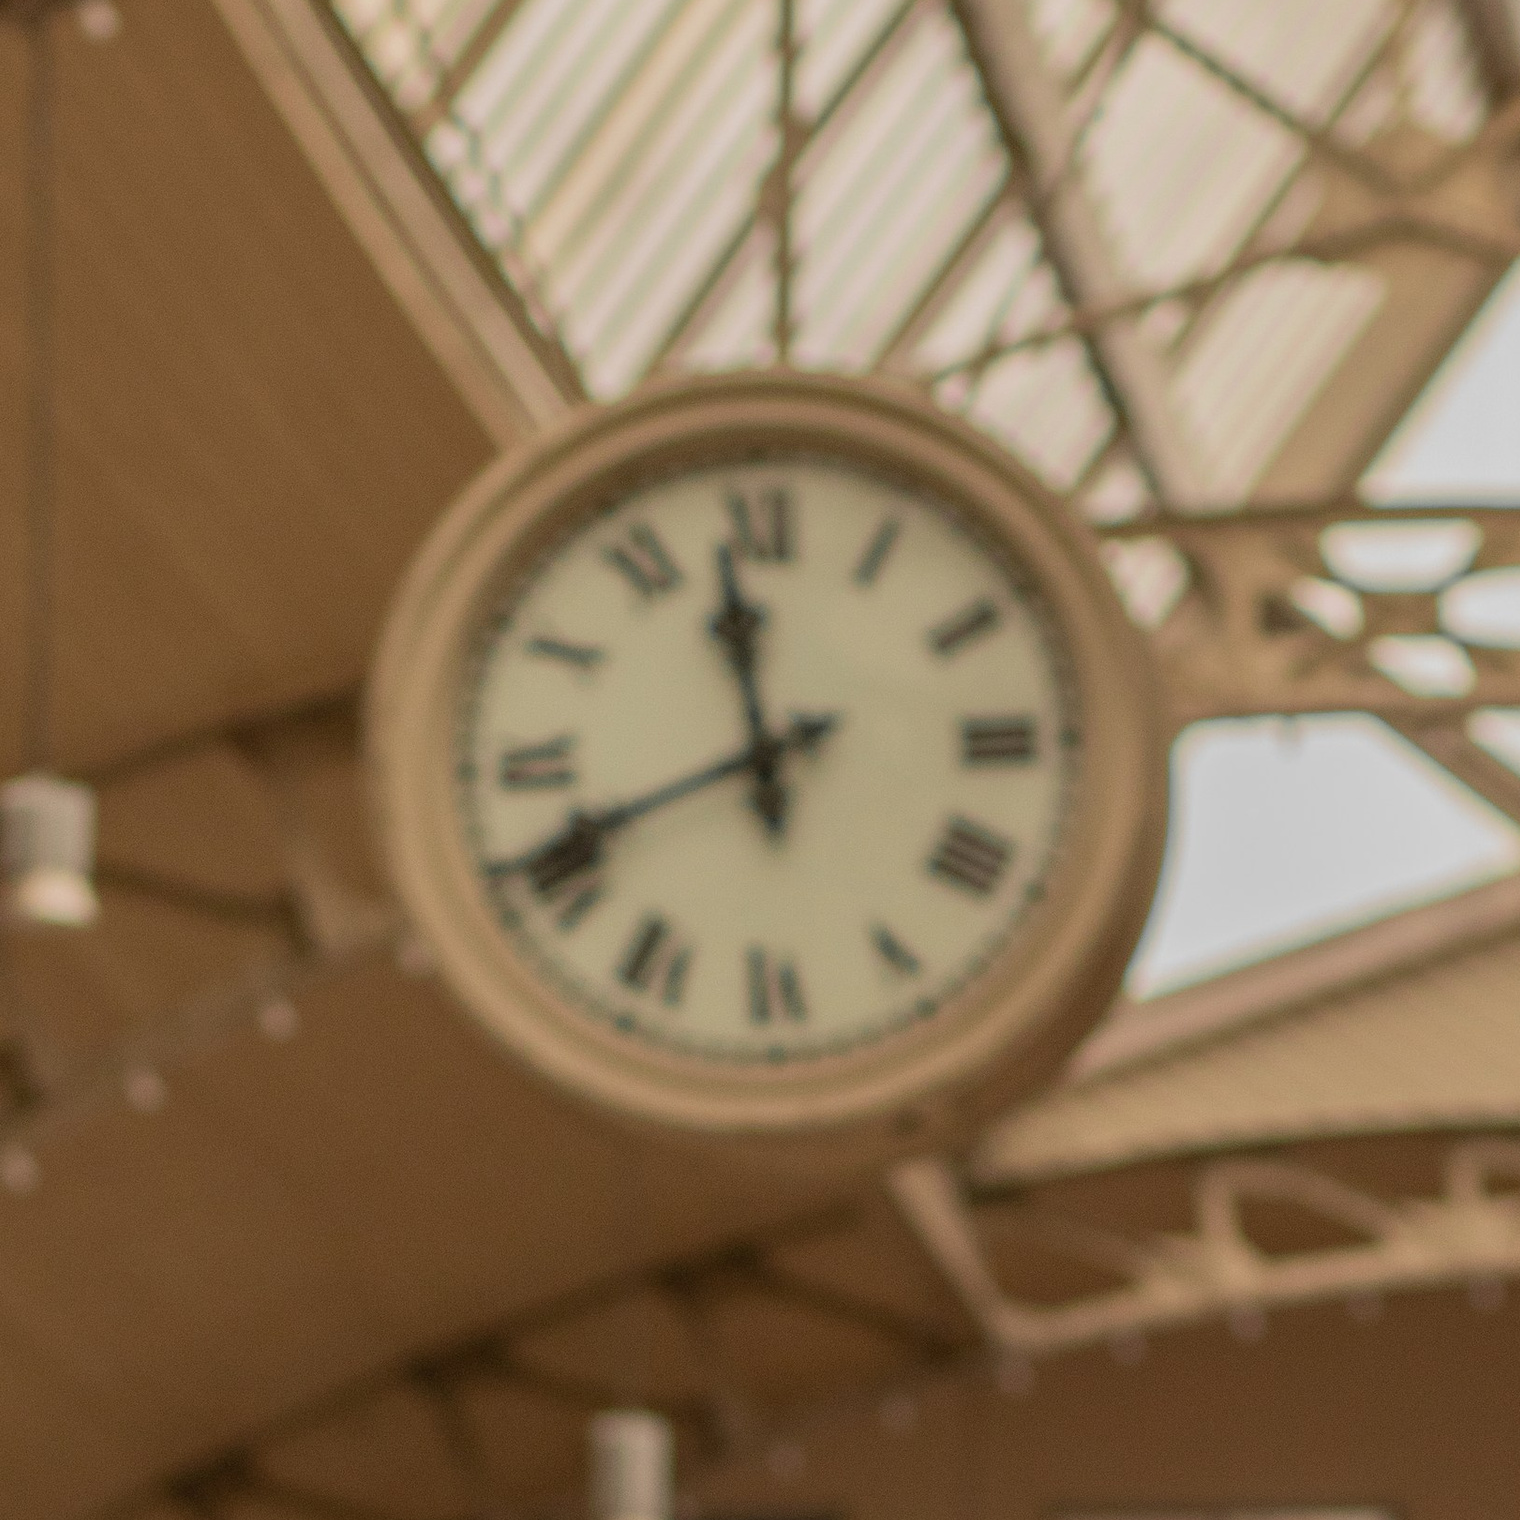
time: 11:41
